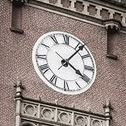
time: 4:06
